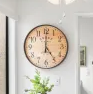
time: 5:00
